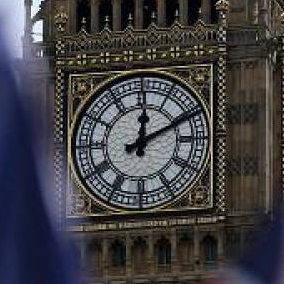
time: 12:10
